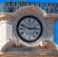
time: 2:48
